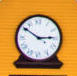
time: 2:50
